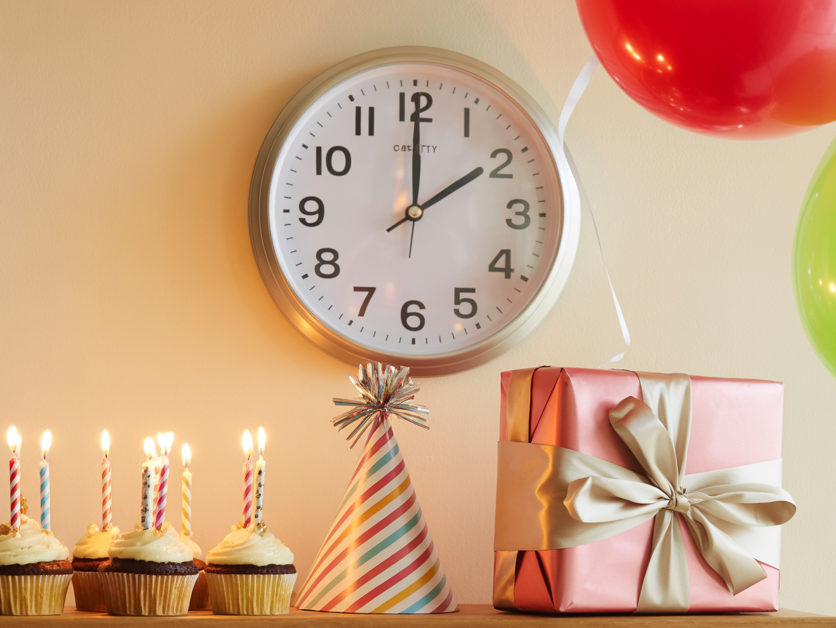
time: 2:00
